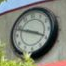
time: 3:48
